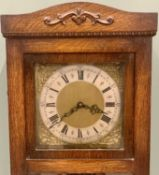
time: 3:39
